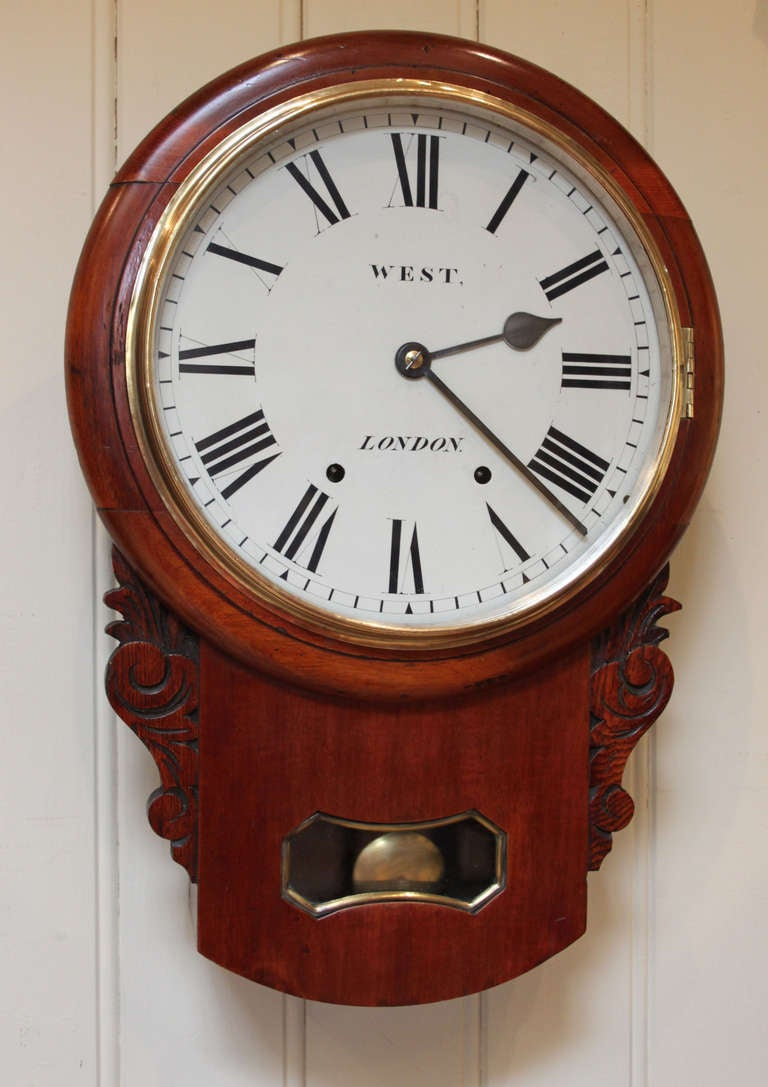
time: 2:22
